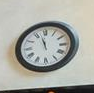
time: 11:57
